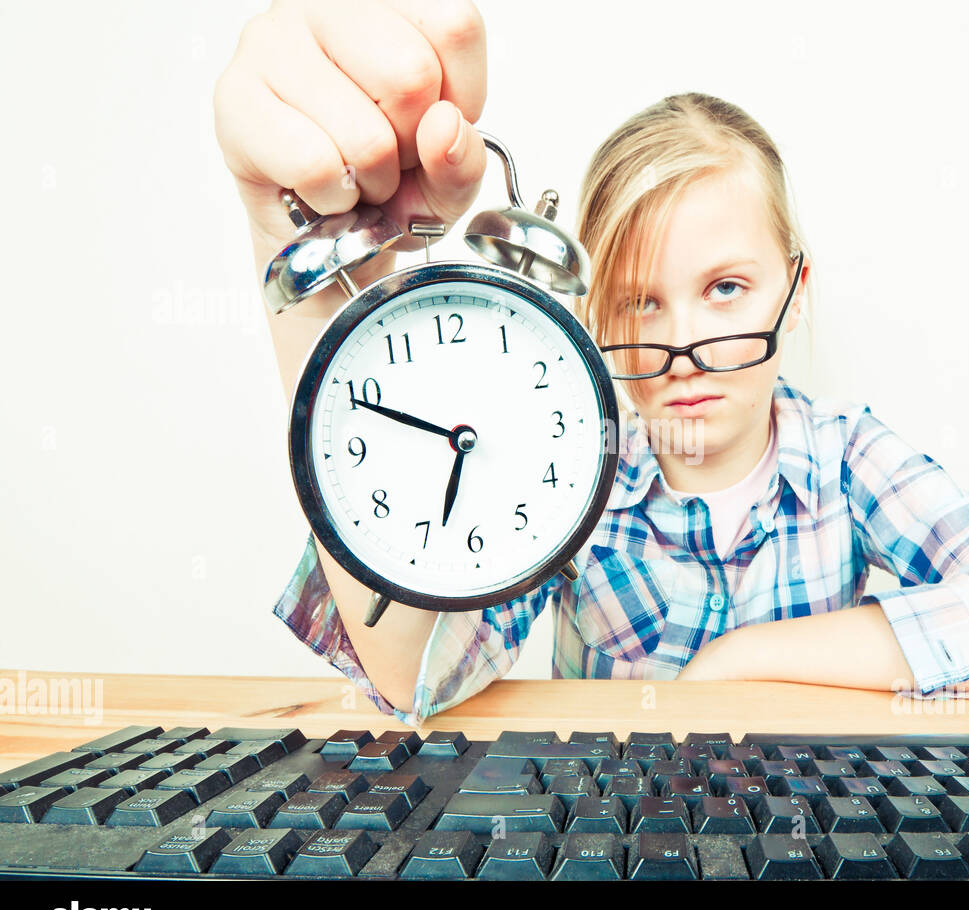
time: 6:49
